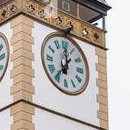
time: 7:00
